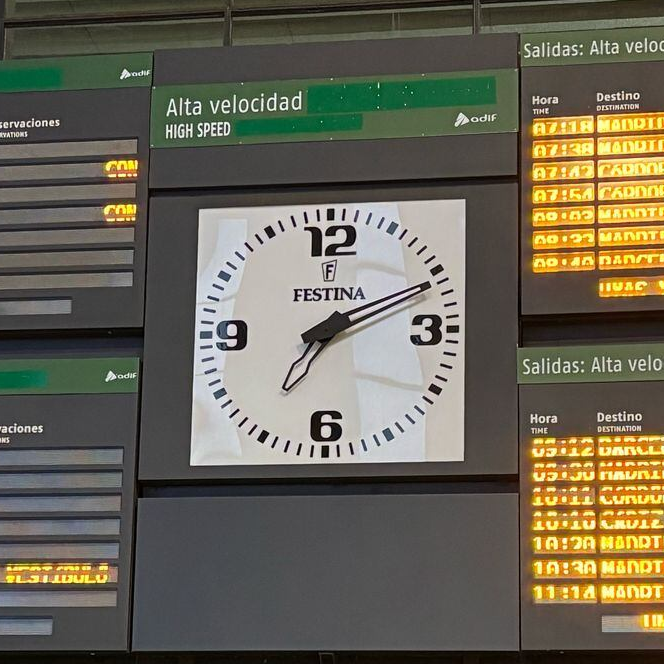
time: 7:11
